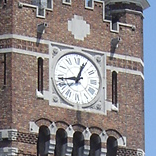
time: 12:43
